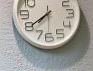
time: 7:39
